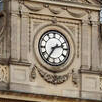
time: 2:35
